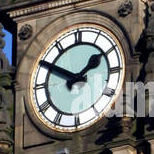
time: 1:50
